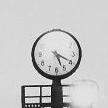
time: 5:19
